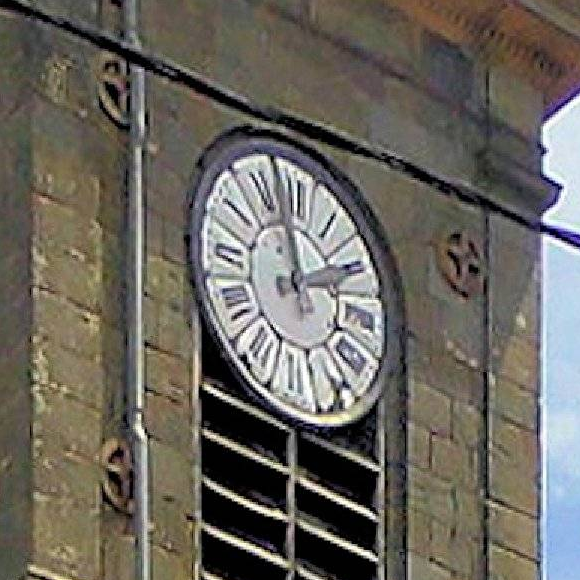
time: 1:57
